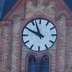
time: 9:56
